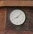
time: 8:07
